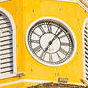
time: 7:07
